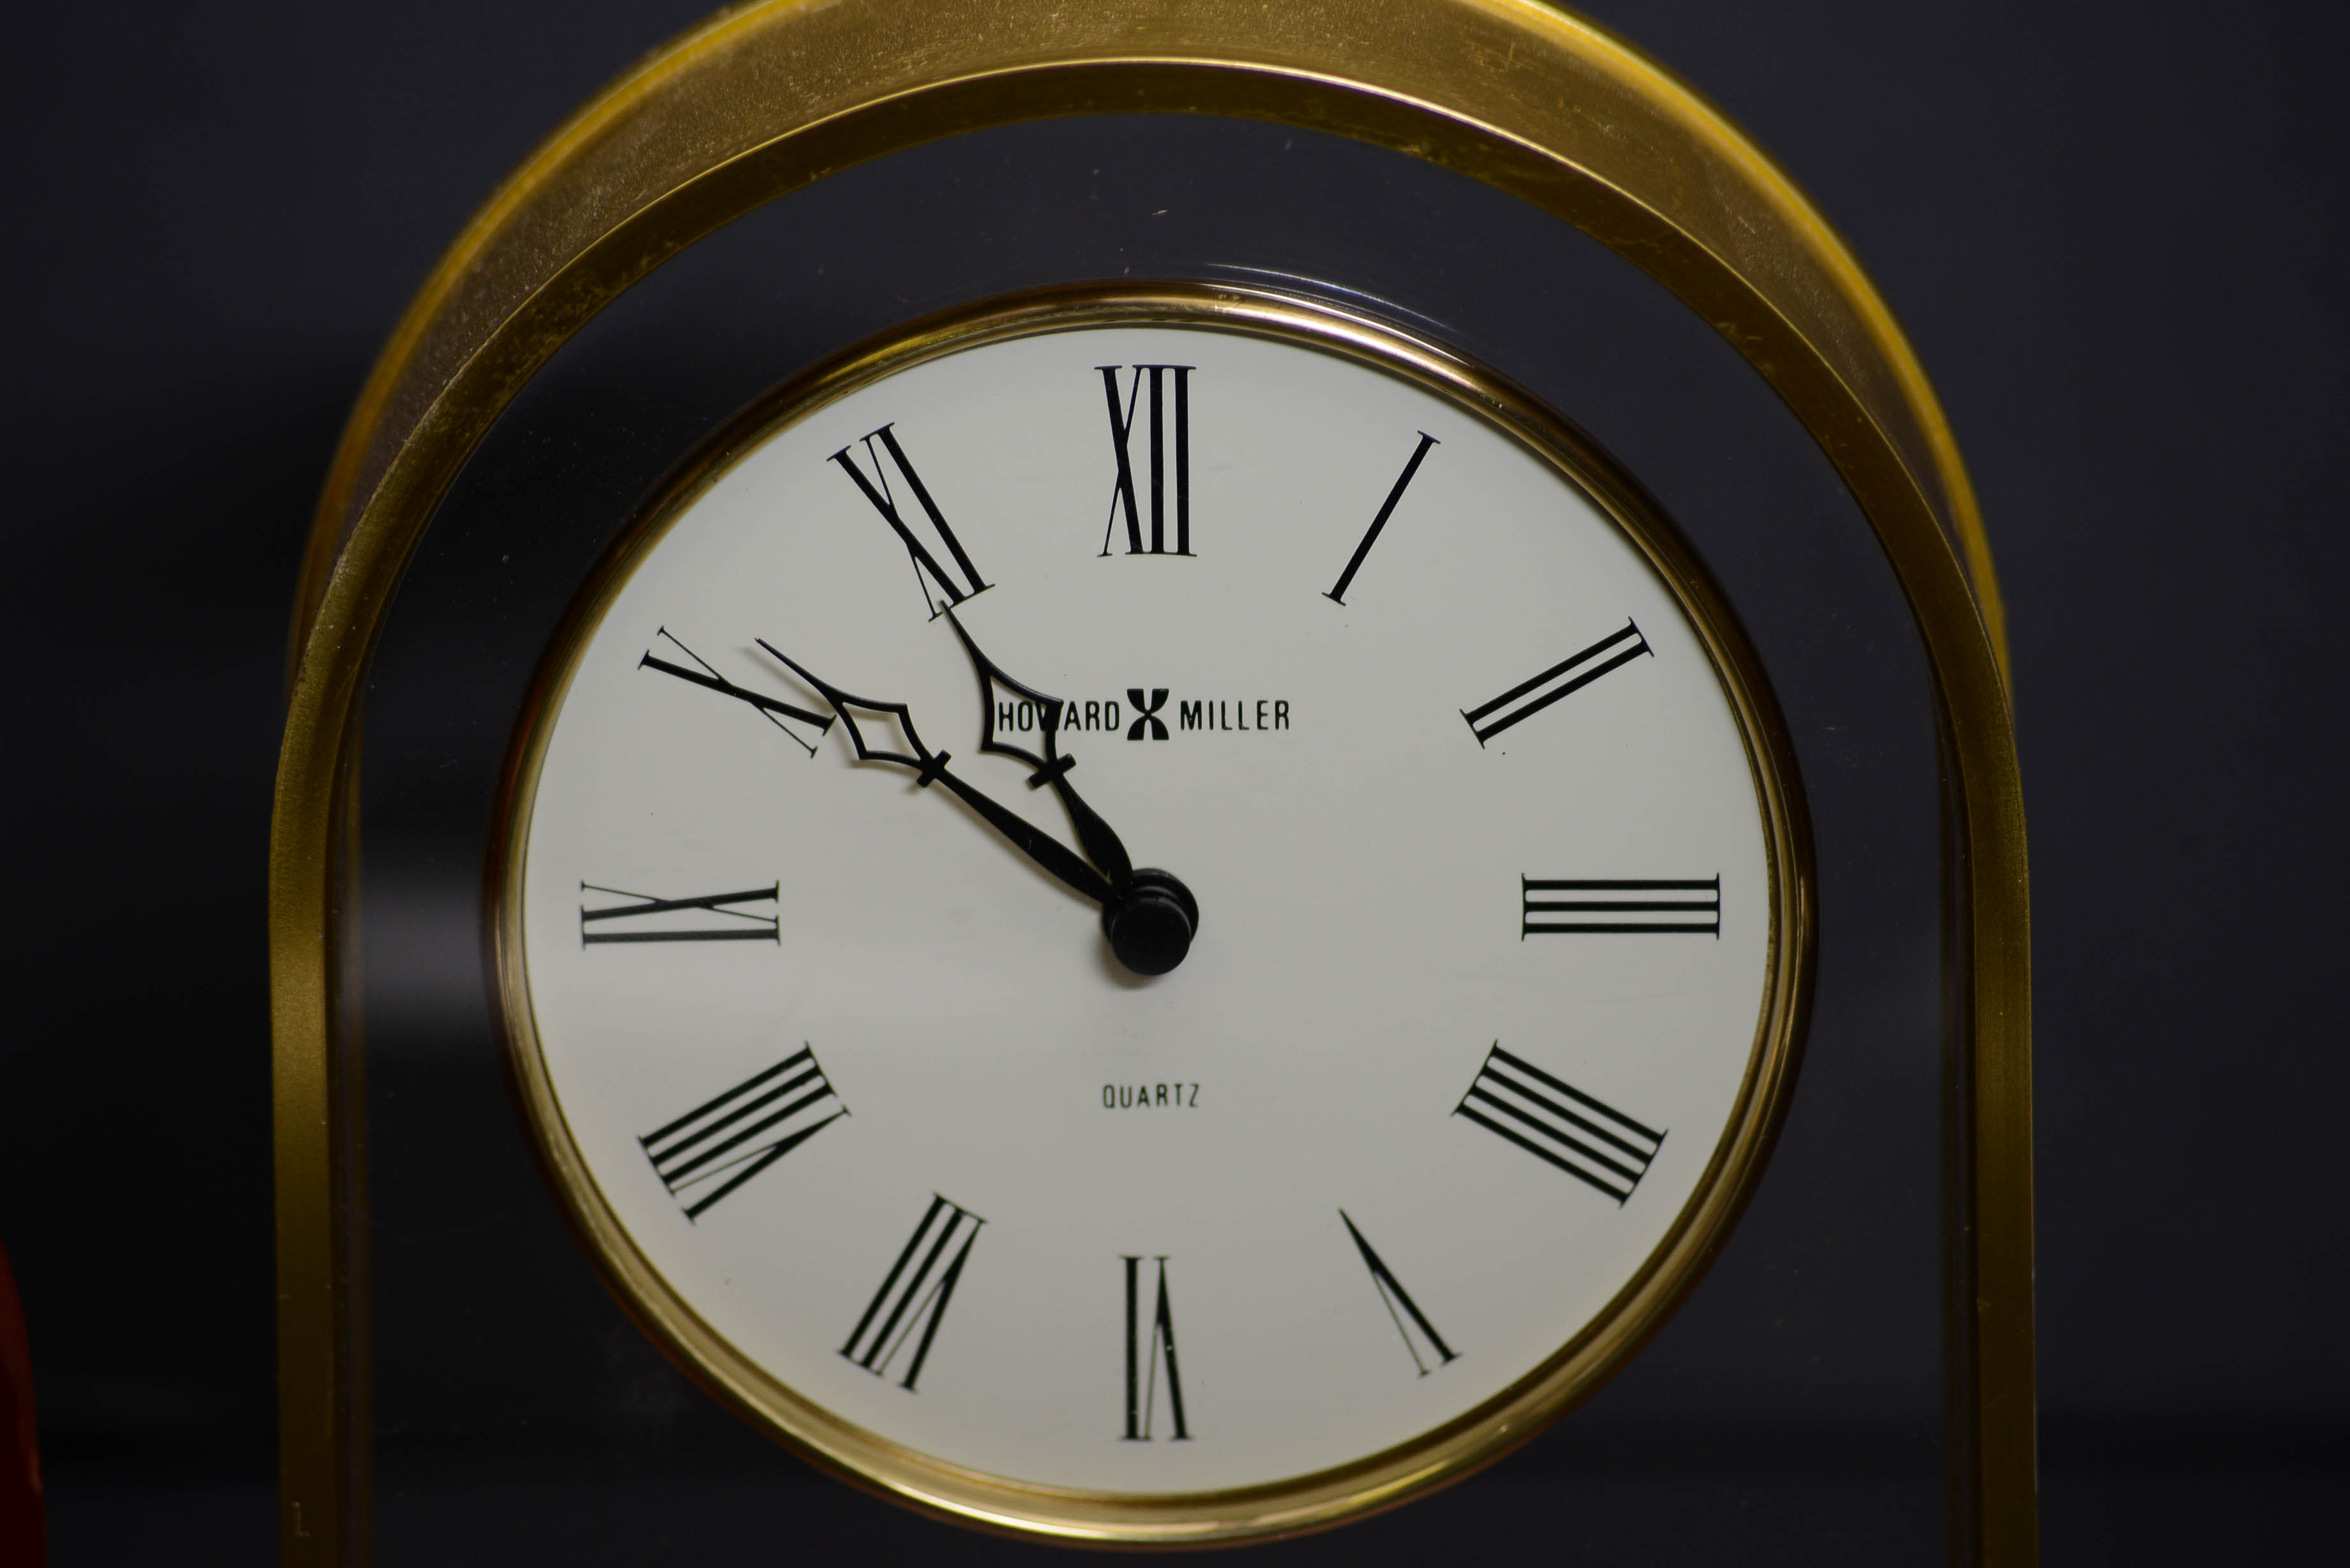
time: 10:50
